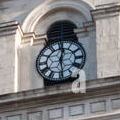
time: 12:28
